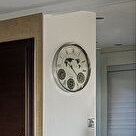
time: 10:22
